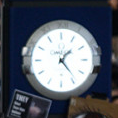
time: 1:23
